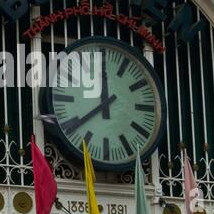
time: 11:38
